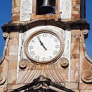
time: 10:54
